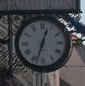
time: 12:32
